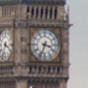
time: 3:33
